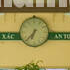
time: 6:37
